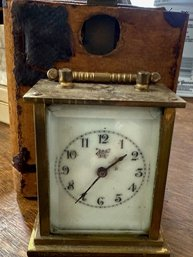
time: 1:36
